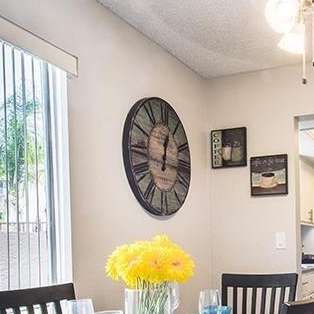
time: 12:02
